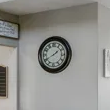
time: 1:40
